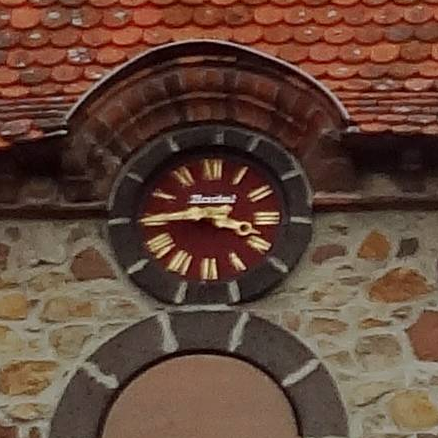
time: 3:44
